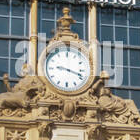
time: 9:18
